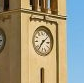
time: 7:08
